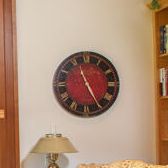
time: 11:25
